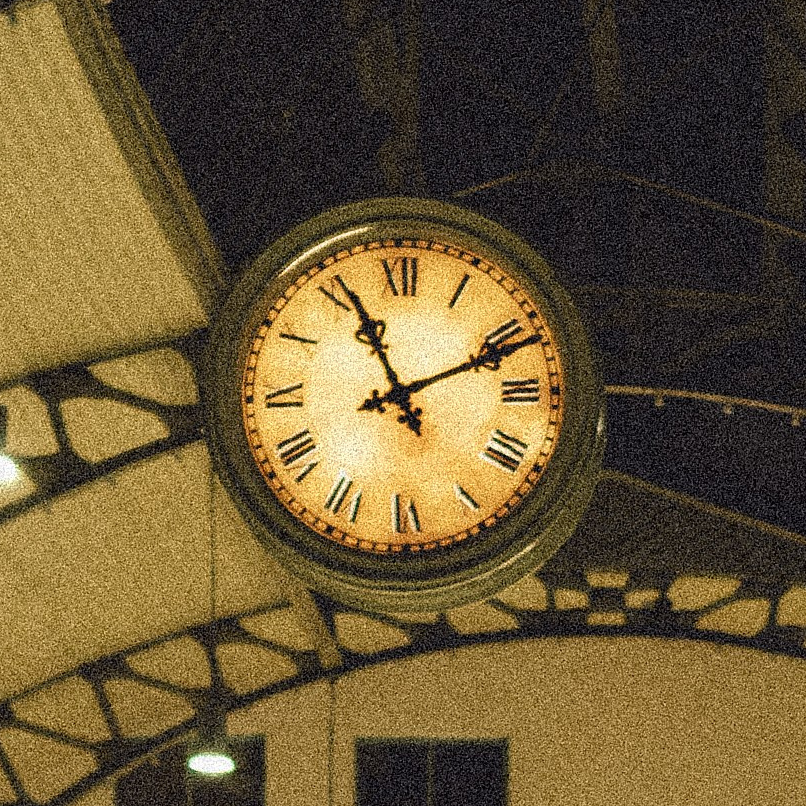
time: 11:11
